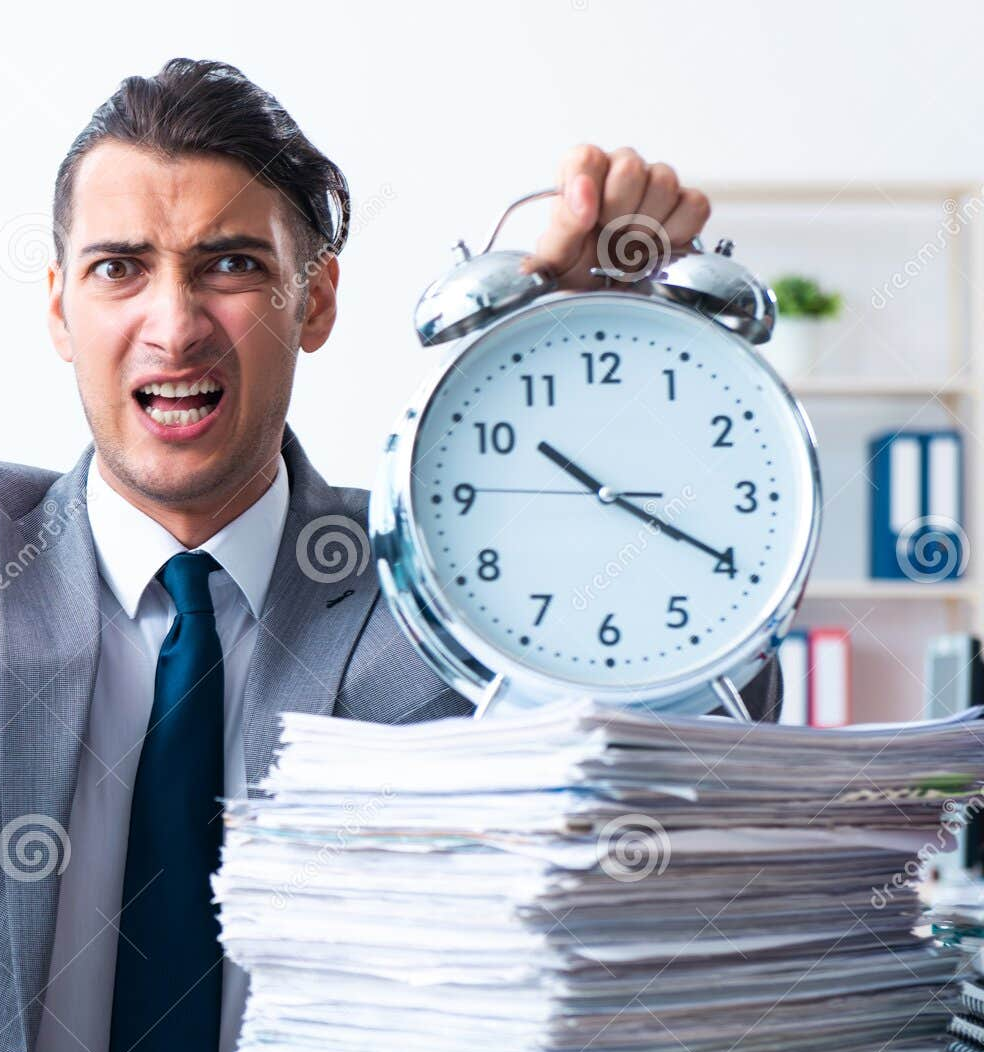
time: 10:19
